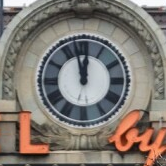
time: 11:57
